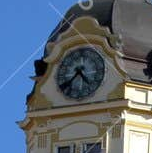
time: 4:37
